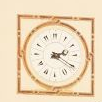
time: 2:20
